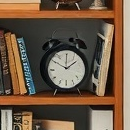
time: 1:50
